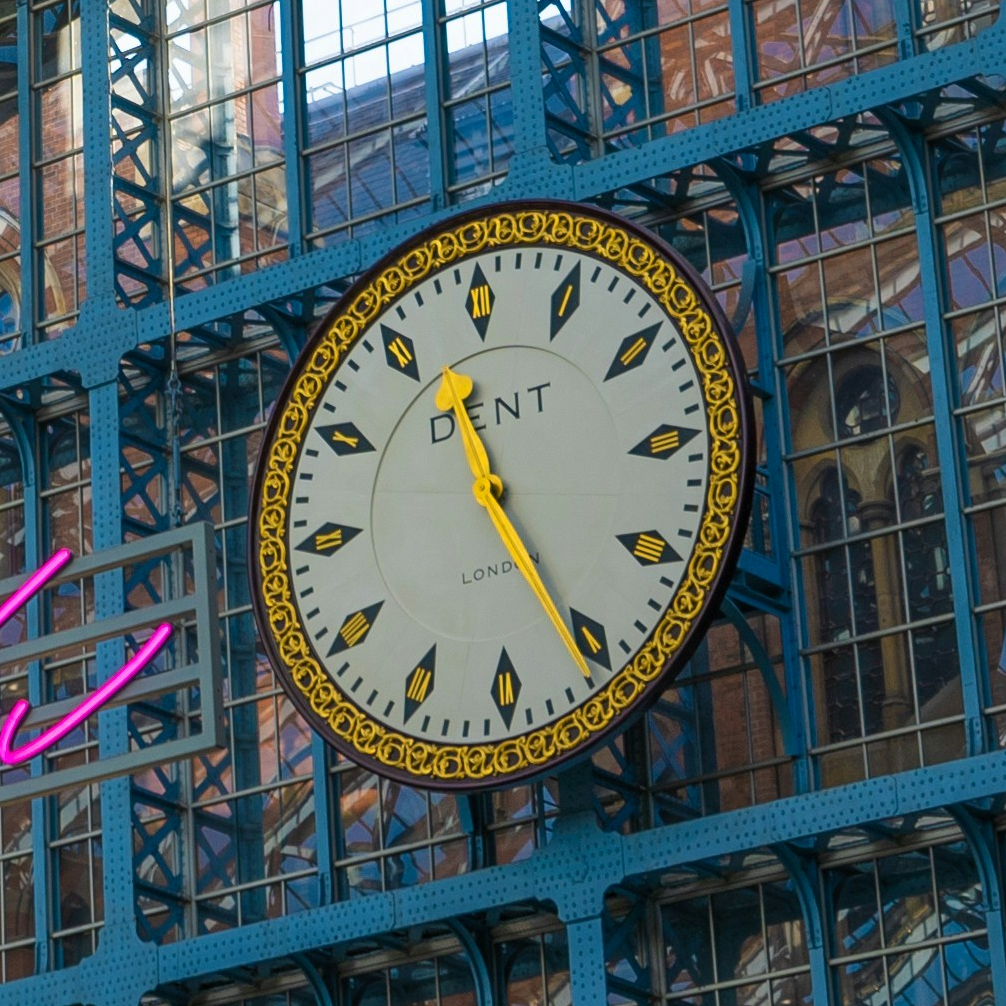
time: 11:25
